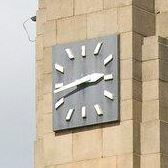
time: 2:42
